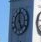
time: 4:59
